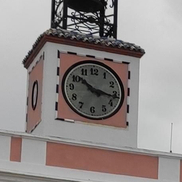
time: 10:16
